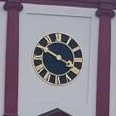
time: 3:49
